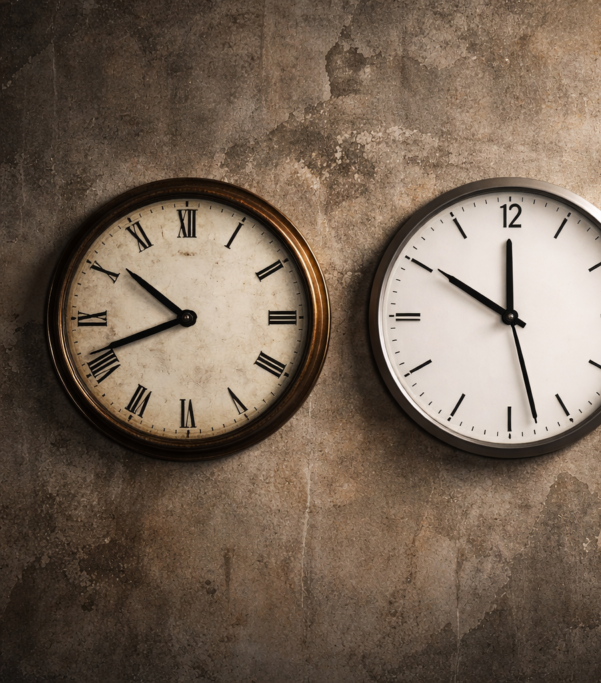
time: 10:41
